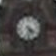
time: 4:31
